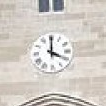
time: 4:00
